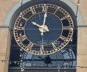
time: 10:00
